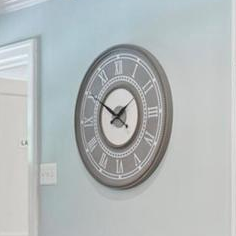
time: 1:50
